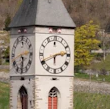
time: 2:40
